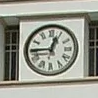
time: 12:45
